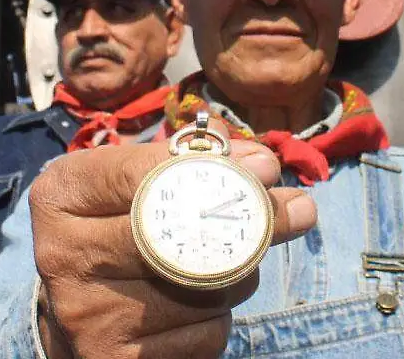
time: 3:10
